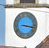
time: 3:16
